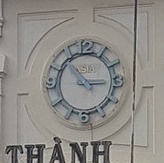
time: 2:53
